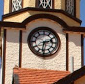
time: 2:31
